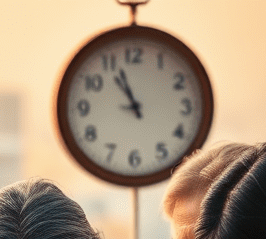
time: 10:56
